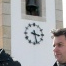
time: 3:27
